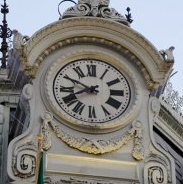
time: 7:49
